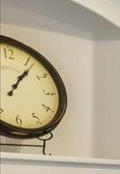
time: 1:06
